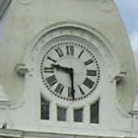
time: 9:29
